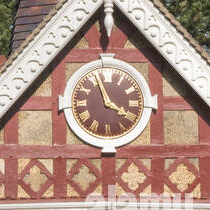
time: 3:56
